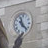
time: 11:22
